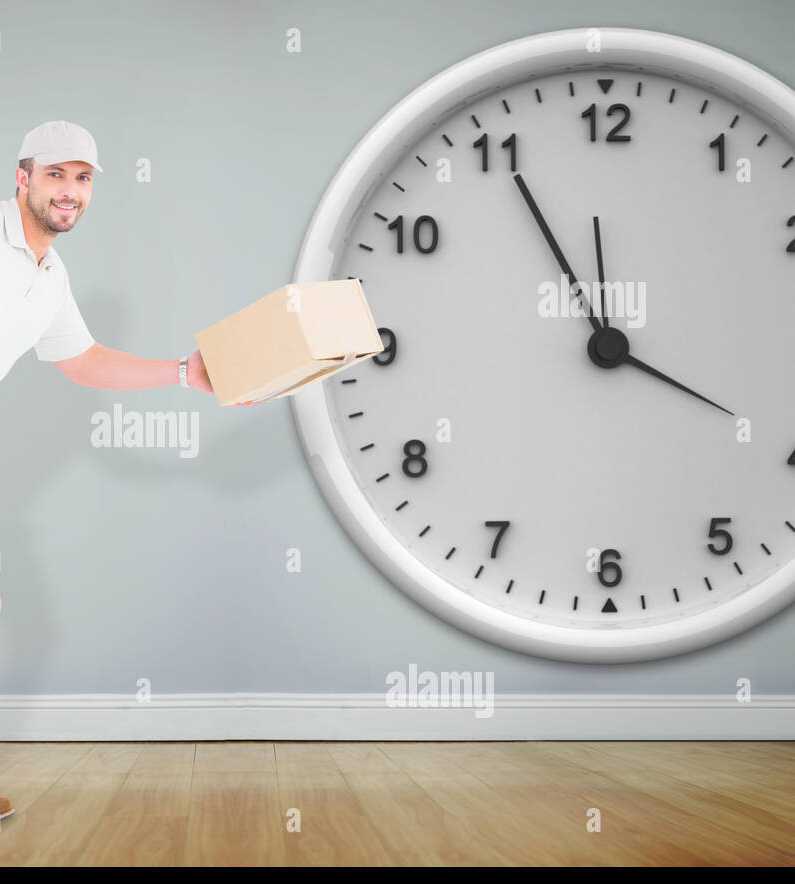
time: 3:55
